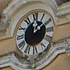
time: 12:09
